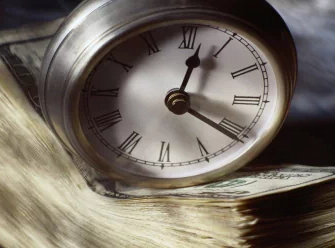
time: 12:20
